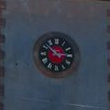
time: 2:52
